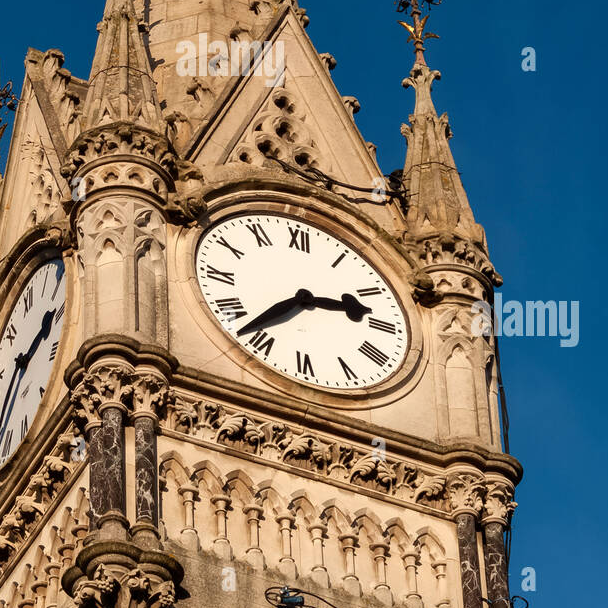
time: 2:36
